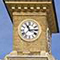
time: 11:13
